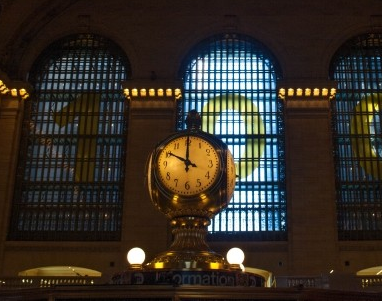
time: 10:00
